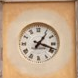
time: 1:18
